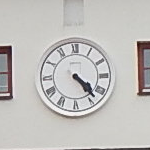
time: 4:23
